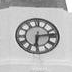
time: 6:13
